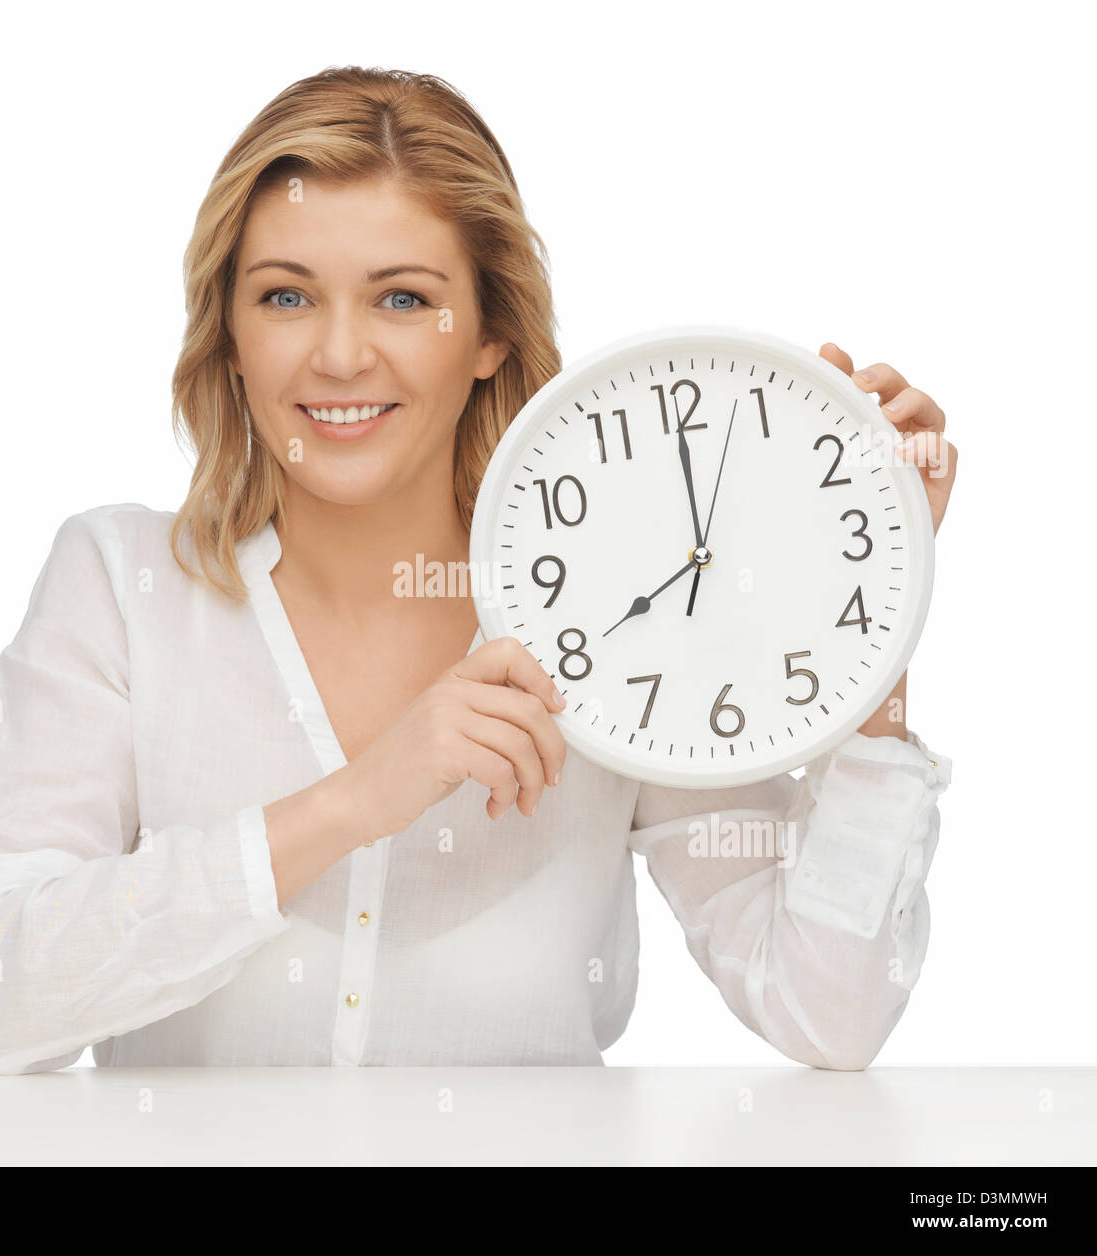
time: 7:59
